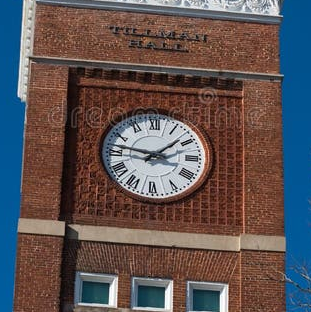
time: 1:46
